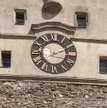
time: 2:18
